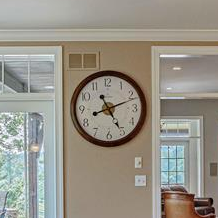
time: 5:11
